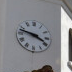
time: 3:47
